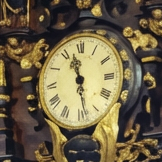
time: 11:28
